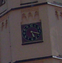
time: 5:15
